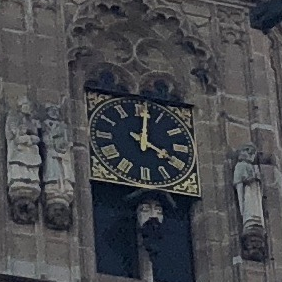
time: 4:01
